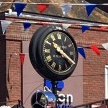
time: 10:20
